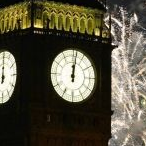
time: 12:01
